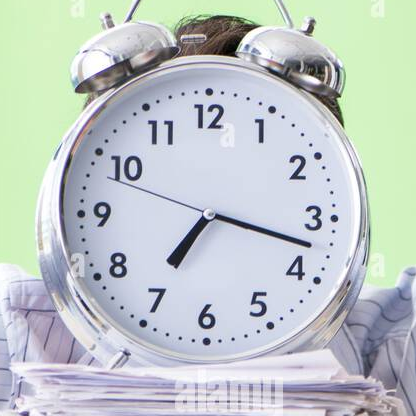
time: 7:17
